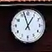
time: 12:57
